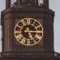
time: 5:14
